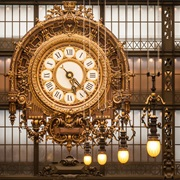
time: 5:22
